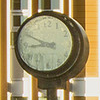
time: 8:49
